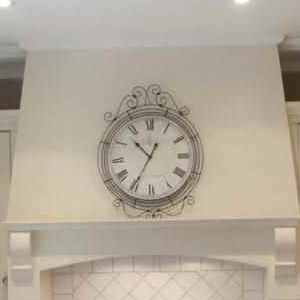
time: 10:35
